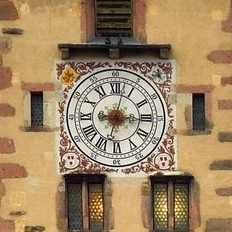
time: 3:02
